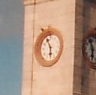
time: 5:55
